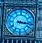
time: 3:16
